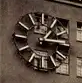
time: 1:14
